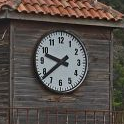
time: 9:38
